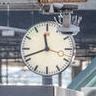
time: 11:41
